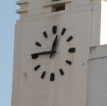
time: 12:45
